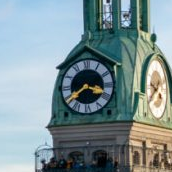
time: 3:39
